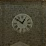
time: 12:51
